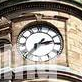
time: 2:37
